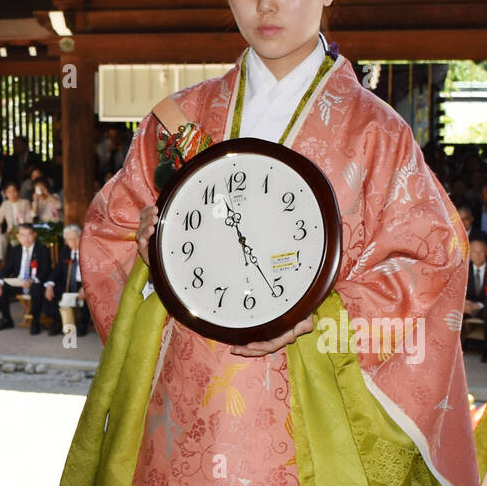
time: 11:25
